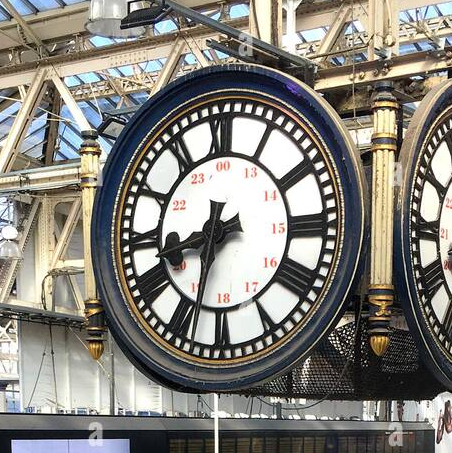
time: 8:33
